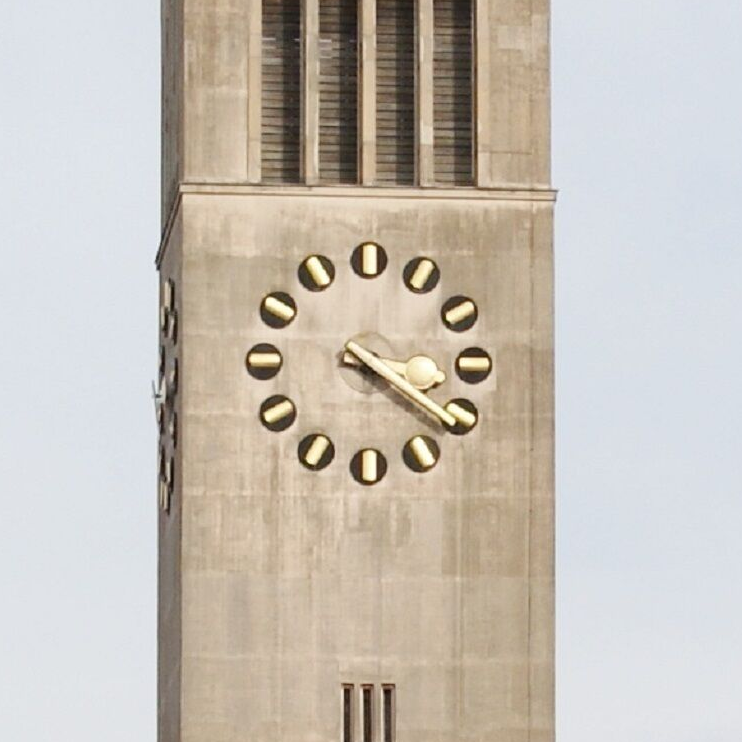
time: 4:20
